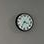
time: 3:34
